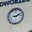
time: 9:11
